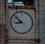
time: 8:52
